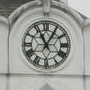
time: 11:05
